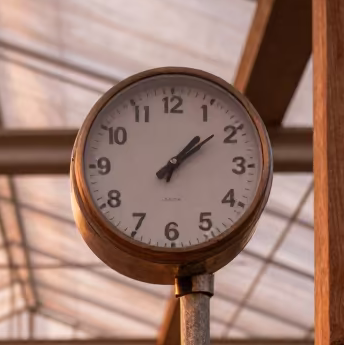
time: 1:08
